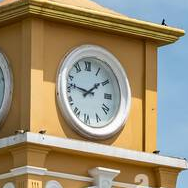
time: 1:46
